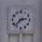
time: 2:37
